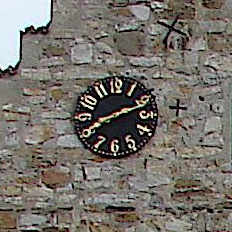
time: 8:11
